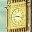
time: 9:17
